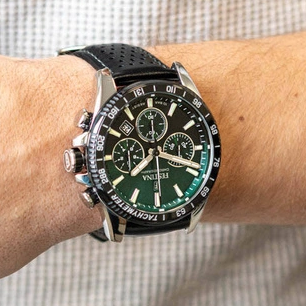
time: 7:18
